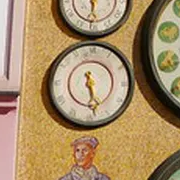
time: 5:28
